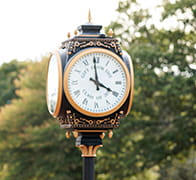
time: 3:58
